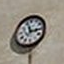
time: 2:56
